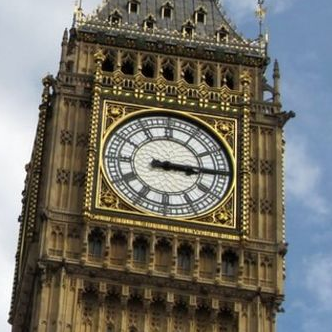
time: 3:14
